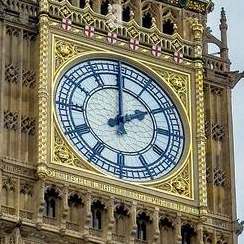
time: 1:59
